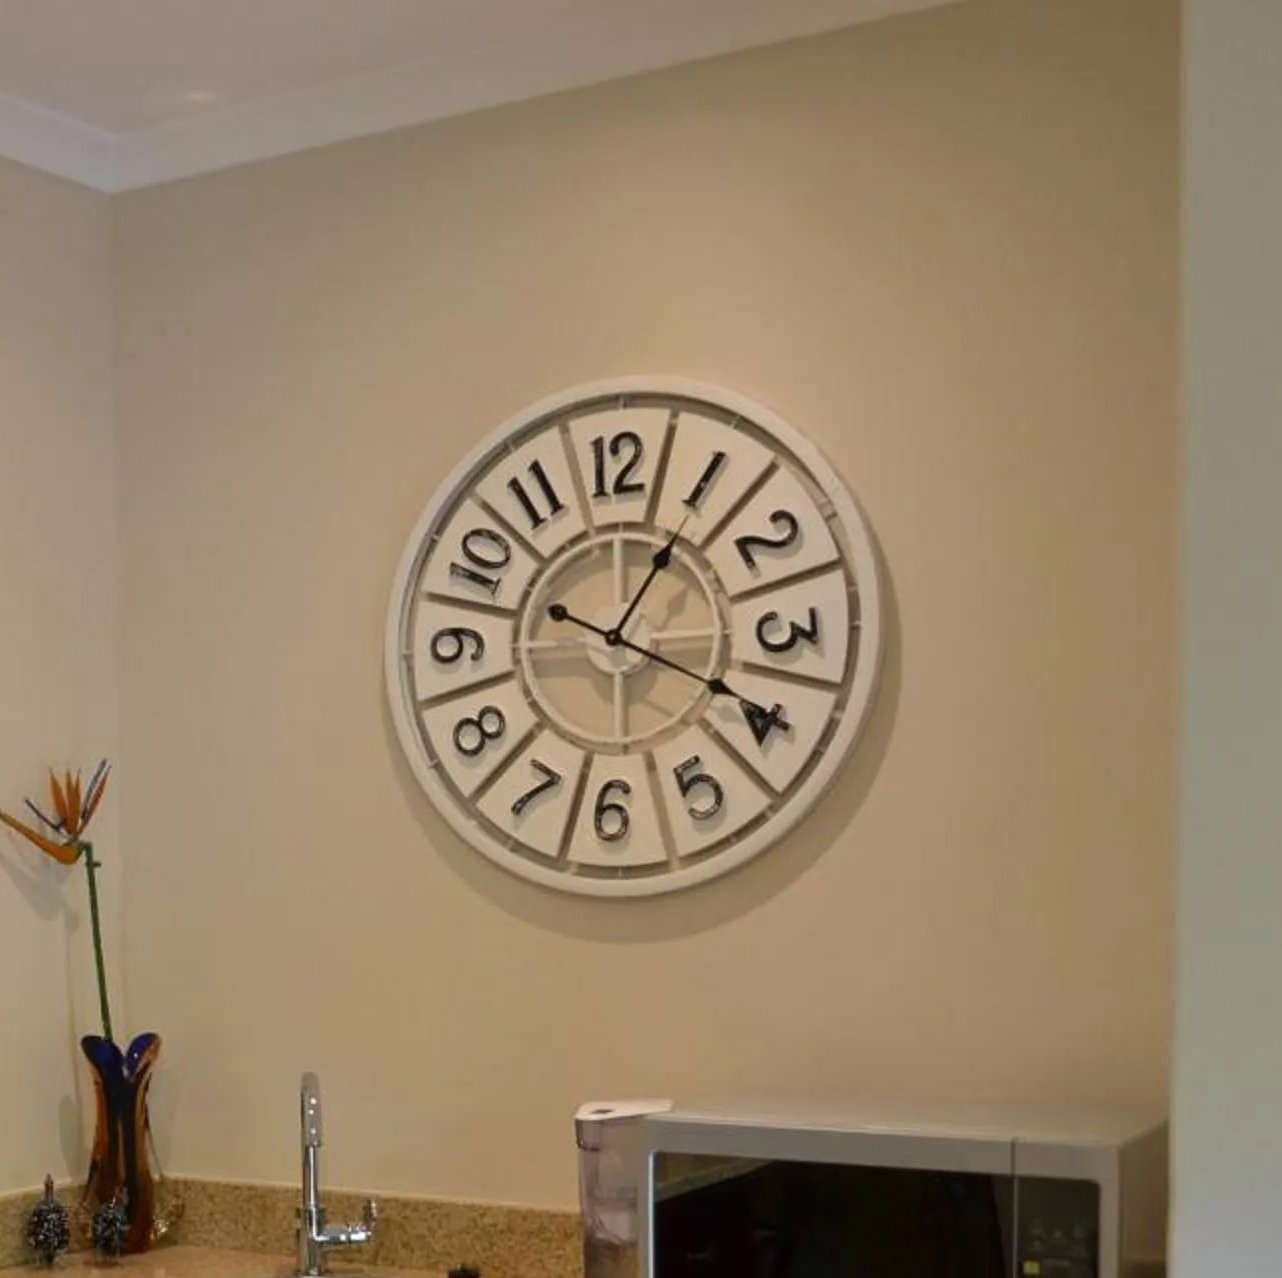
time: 1:19
